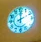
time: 2:00
